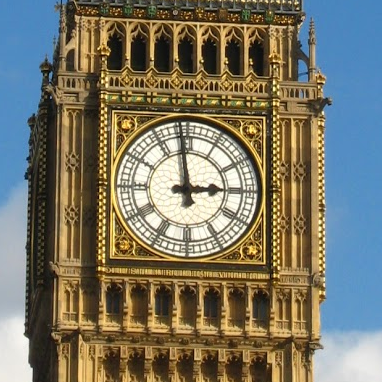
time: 2:58
